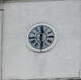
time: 12:28
